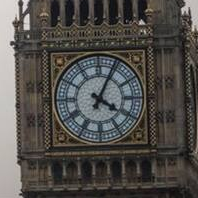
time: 4:04
